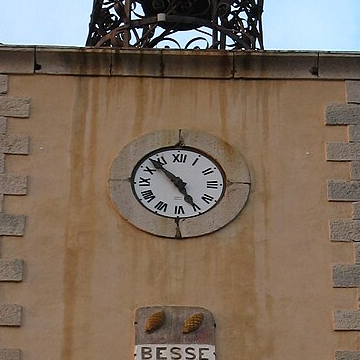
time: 4:53
